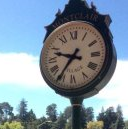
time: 9:35
